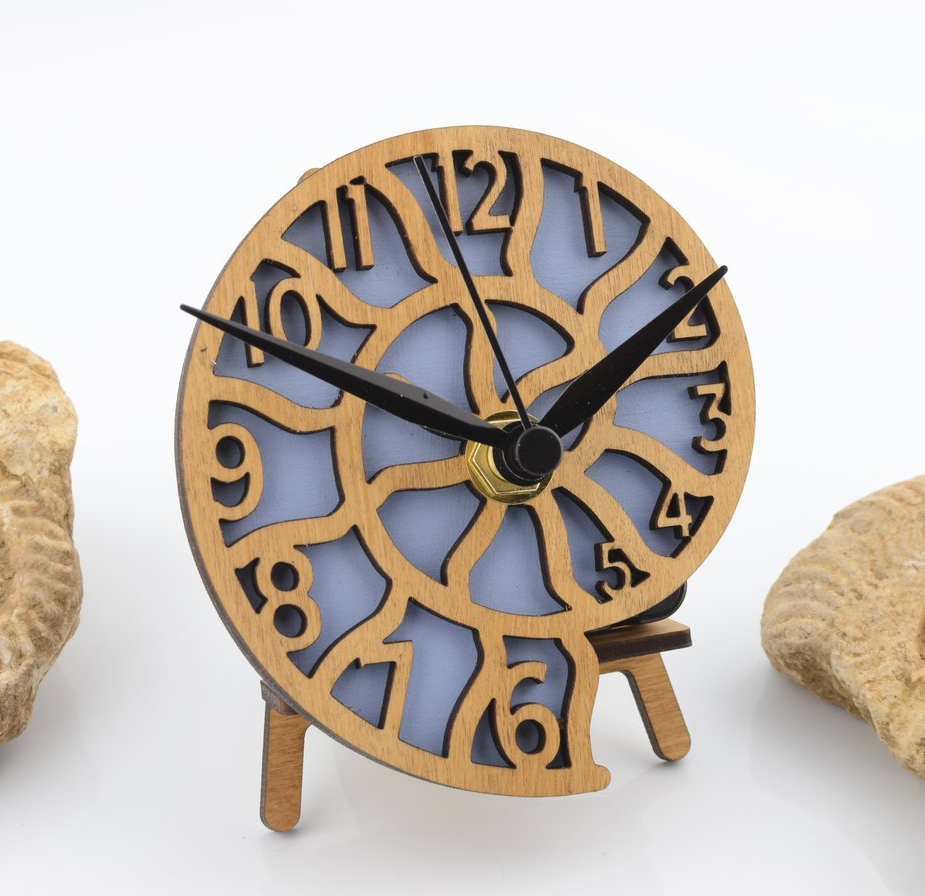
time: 1:48
